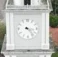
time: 3:23
